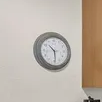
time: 10:29
